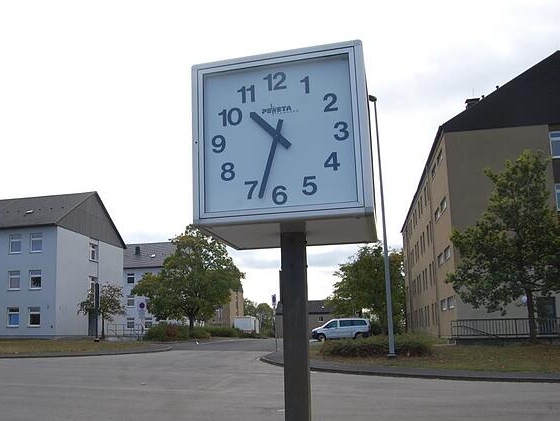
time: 10:33
